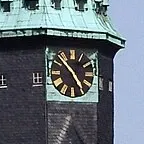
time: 4:52
